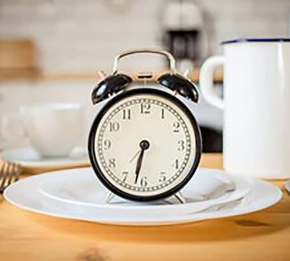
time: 6:32
